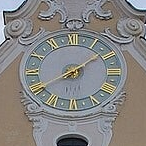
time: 8:08
